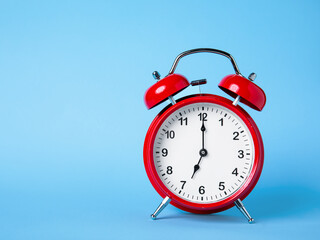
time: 7:00
